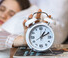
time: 1:10
